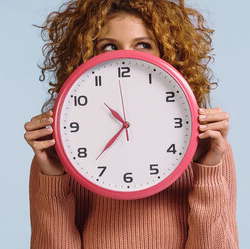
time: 10:37
